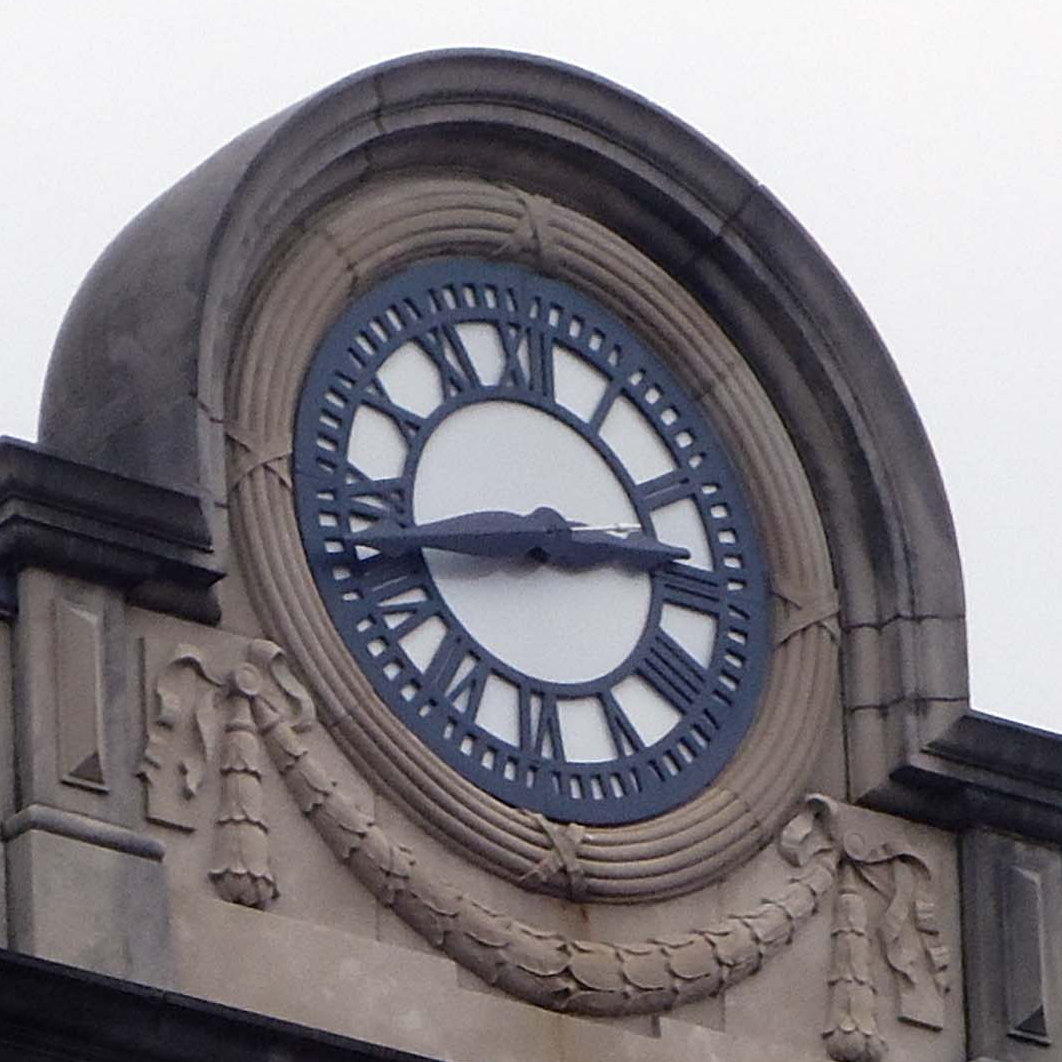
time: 2:42
